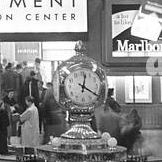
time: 12:19
